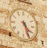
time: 4:26
